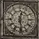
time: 12:28
